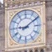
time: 9:09
